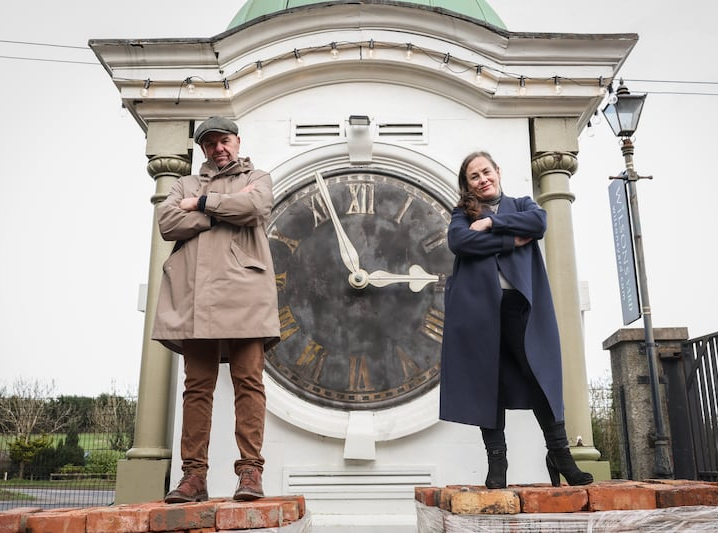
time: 2:56
